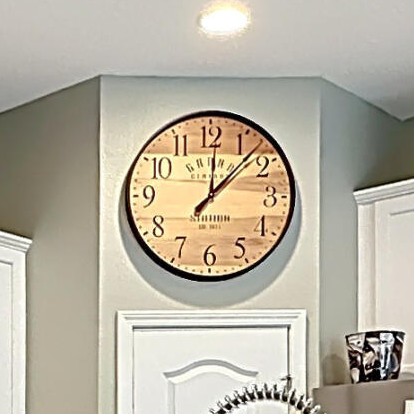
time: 12:07
